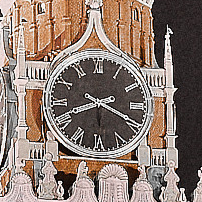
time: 8:19
